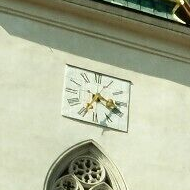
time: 3:34
